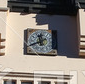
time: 11:40
